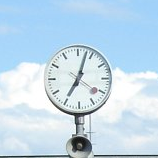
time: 7:03
